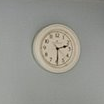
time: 2:29
